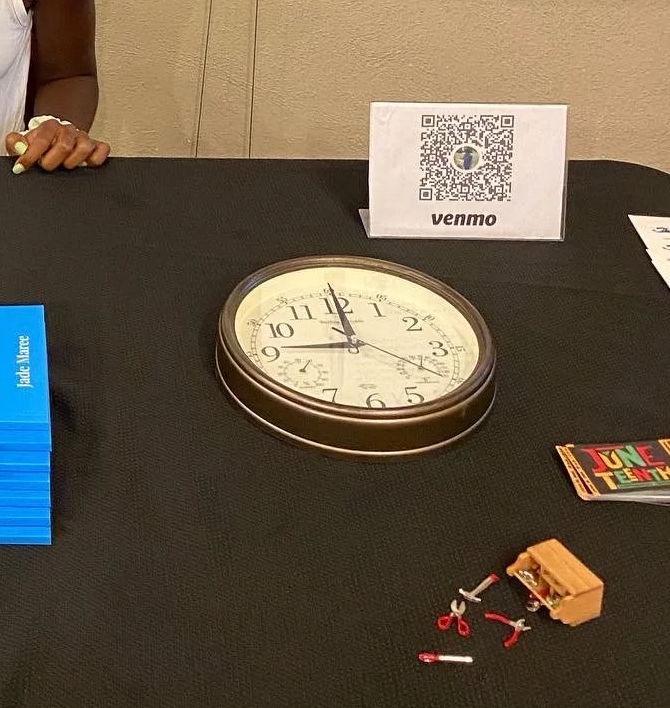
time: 9:00
